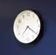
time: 7:20
